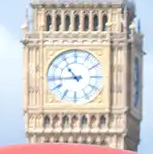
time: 10:43
